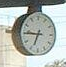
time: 6:45
